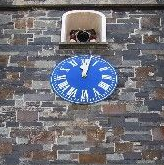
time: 12:02
